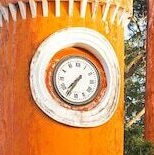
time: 7:35
